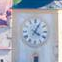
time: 4:04
